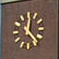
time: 12:23
